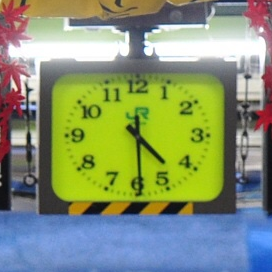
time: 4:29
